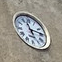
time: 11:14
